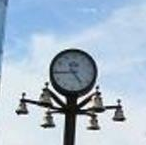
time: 4:43
